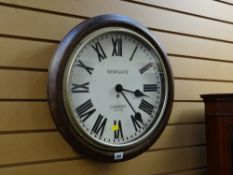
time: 3:23
